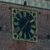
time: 1:37
